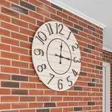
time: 12:15
